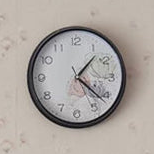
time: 1:21
